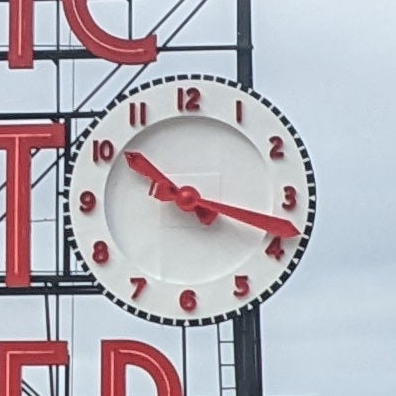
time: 10:17
